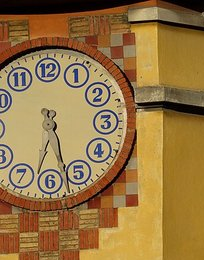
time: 6:27
